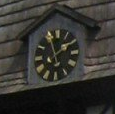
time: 1:56
